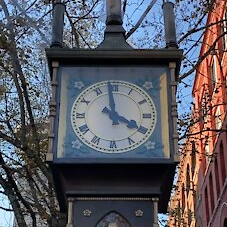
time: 3:58
